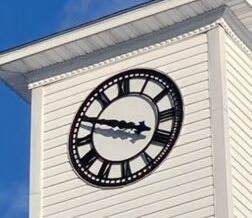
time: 3:48
